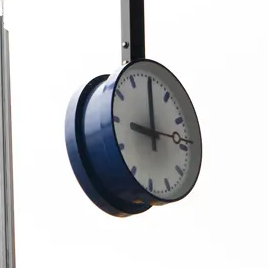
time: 8:59
